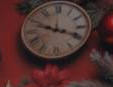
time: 3:48
